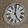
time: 5:00
